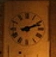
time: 2:11
